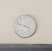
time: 3:48
